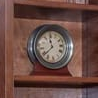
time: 11:38
